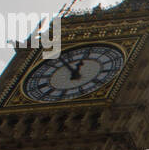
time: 11:53
